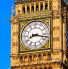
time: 8:17
